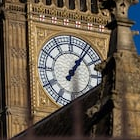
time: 1:06
